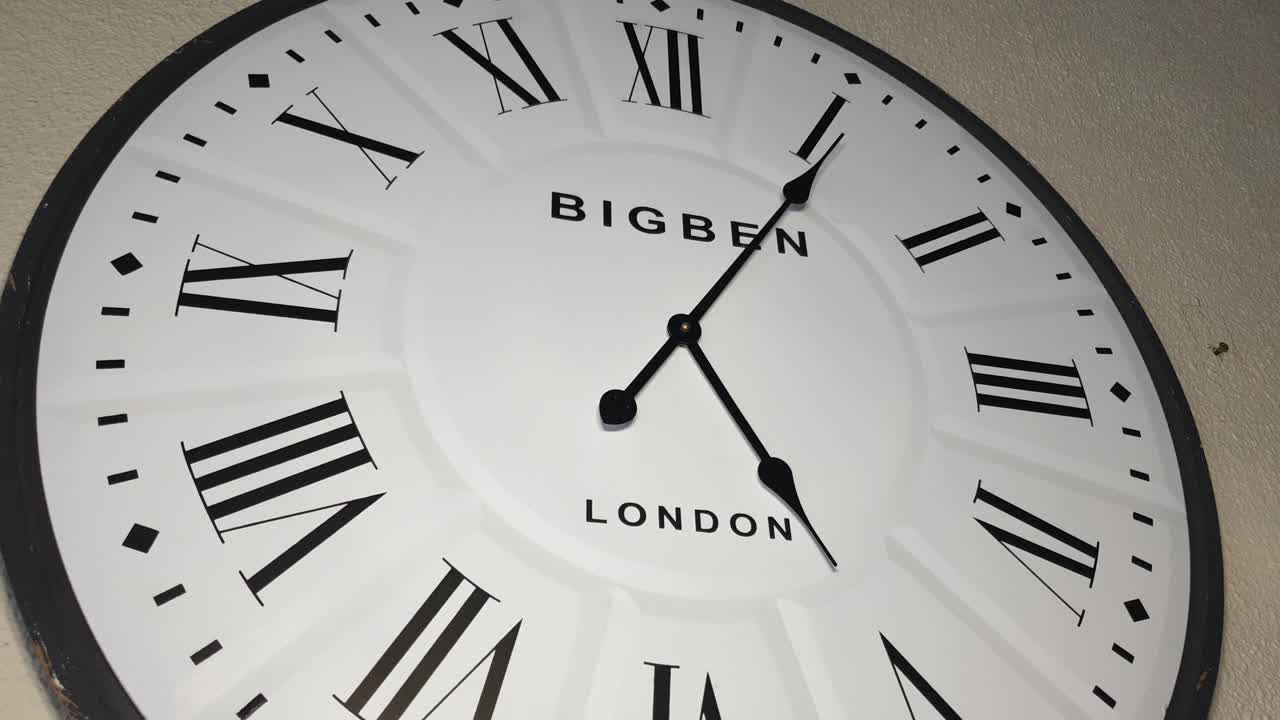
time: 5:05
